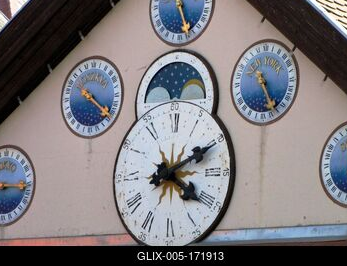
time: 4:10
